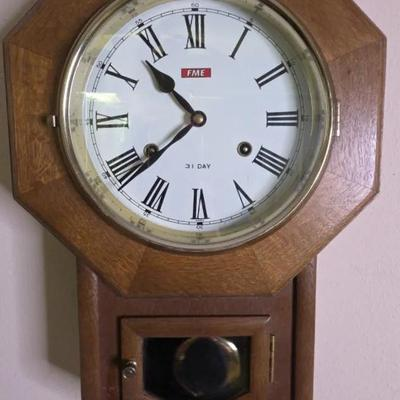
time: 10:38
